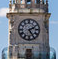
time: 2:24
